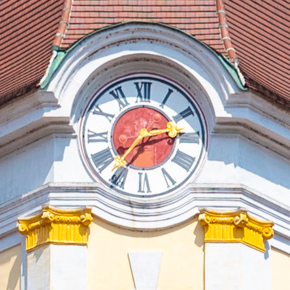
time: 2:36
